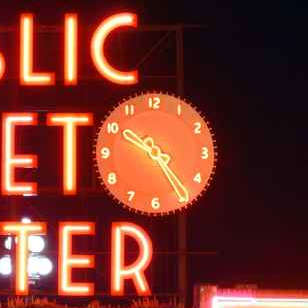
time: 10:24
